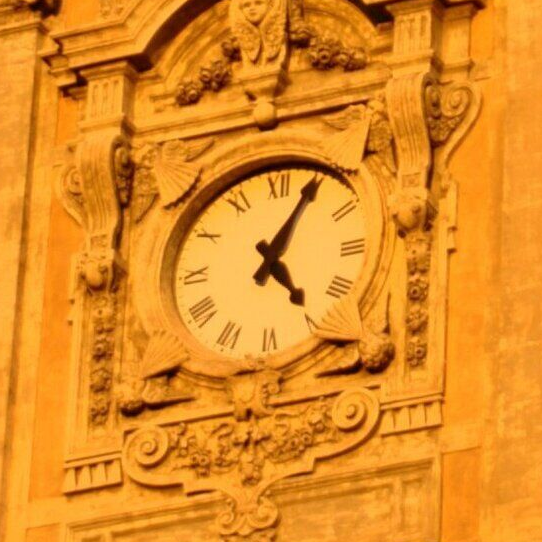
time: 5:05
